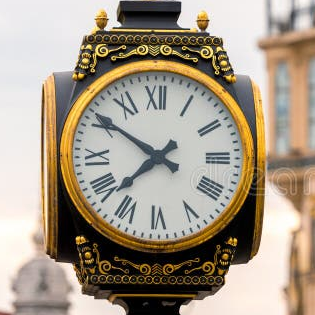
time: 7:50
